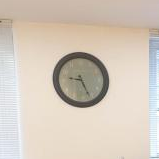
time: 9:26
